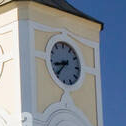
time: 8:37
